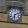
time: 6:10
